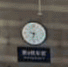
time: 9:32
